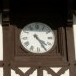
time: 4:24
